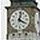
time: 4:02
